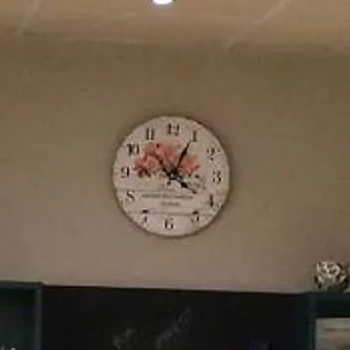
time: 4:04
